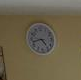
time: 4:42
